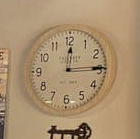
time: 12:14
